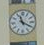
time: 11:19
